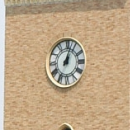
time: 1:02
